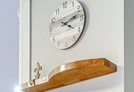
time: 4:12
